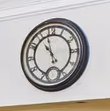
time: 10:58
